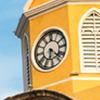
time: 6:22
